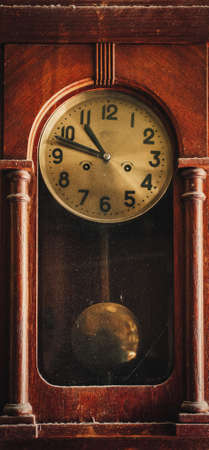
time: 10:47
